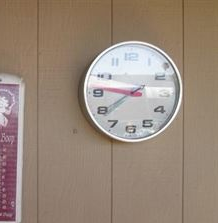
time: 7:46
